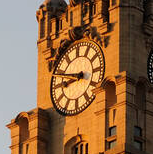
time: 8:47
